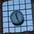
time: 11:25
